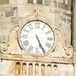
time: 5:25
